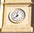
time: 11:37
